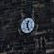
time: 12:26
